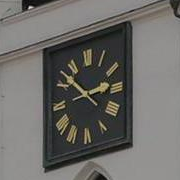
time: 2:52
